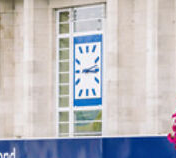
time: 3:12
